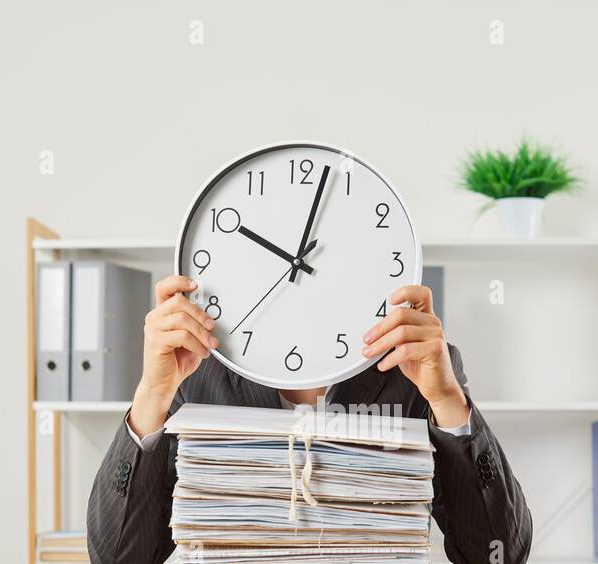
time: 10:02
